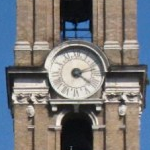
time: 4:12
